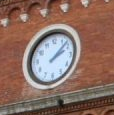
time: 2:07
